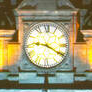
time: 9:20
